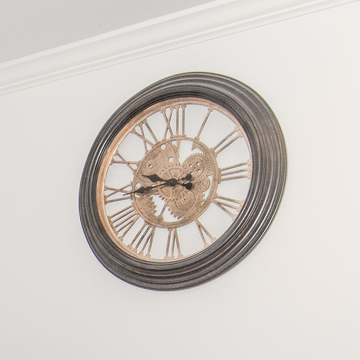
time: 9:44
